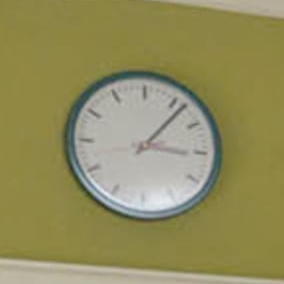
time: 3:06
